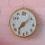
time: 7:07
